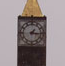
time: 1:16
